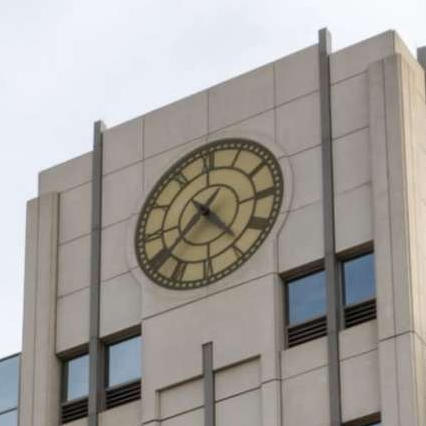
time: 4:38
